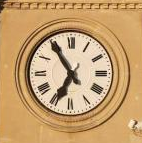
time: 6:54
